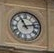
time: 11:12
